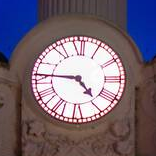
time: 4:45
